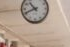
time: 10:41
